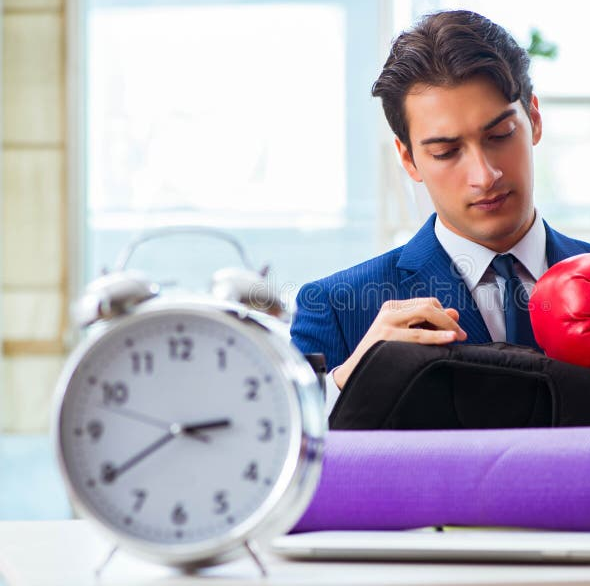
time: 2:39
